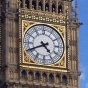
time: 4:40
